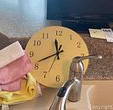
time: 11:40
